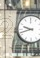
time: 9:42
